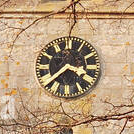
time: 3:37
